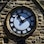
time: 11:09
